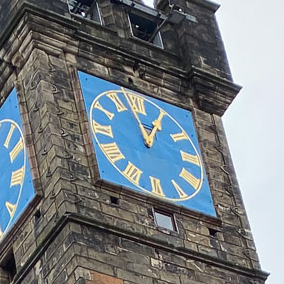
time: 12:57
